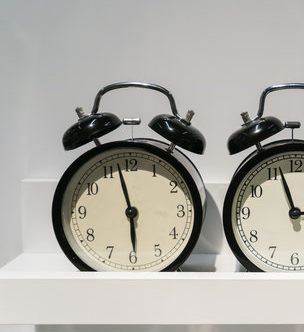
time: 5:57
